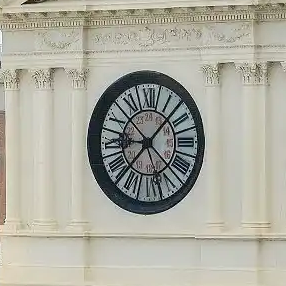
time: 9:07
